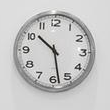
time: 10:28
